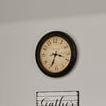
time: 3:33
